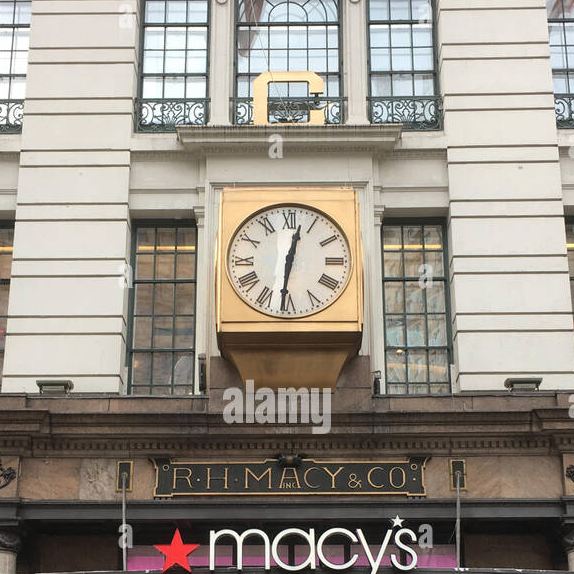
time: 12:31
